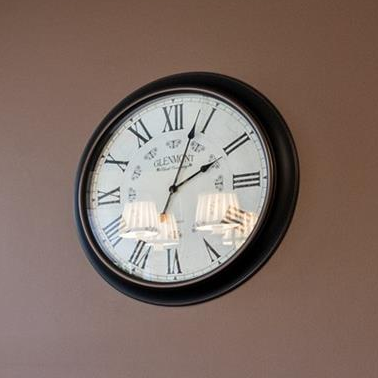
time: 2:03
